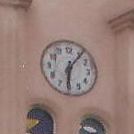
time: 6:06
